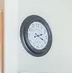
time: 2:19
